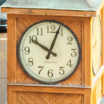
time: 10:03
